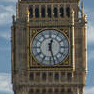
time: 12:27
